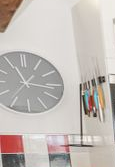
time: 11:16
